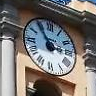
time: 2:53
